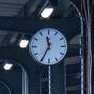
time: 11:34
